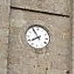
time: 7:54
